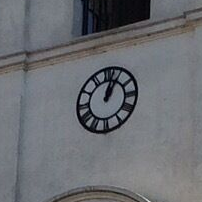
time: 1:02
